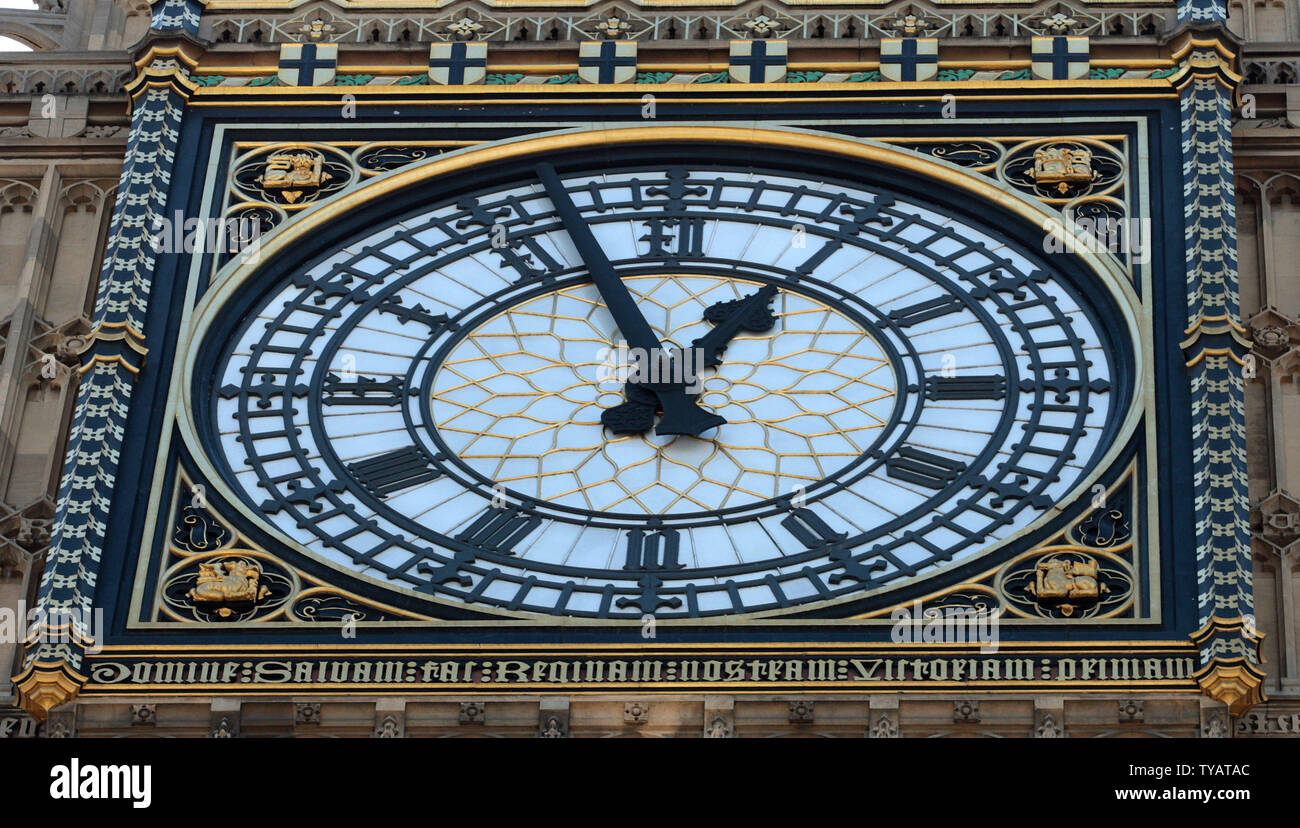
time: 12:57
